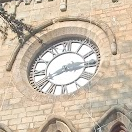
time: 2:40
